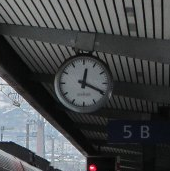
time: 12:19
